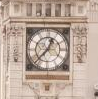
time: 12:37
